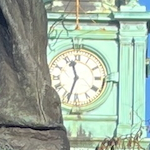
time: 11:33
